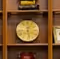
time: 12:28
